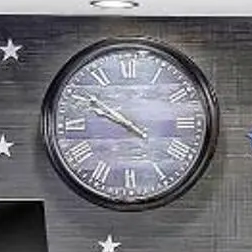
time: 9:50
